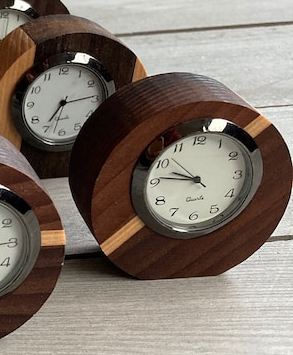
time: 9:46
